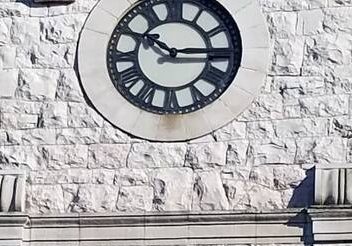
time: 10:14
